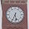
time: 5:33
